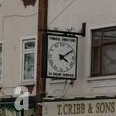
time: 4:09
